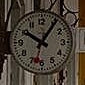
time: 10:05
